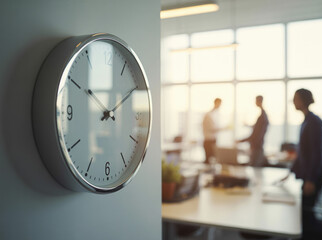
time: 12:09
